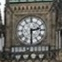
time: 2:30
